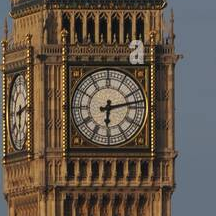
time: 6:13
